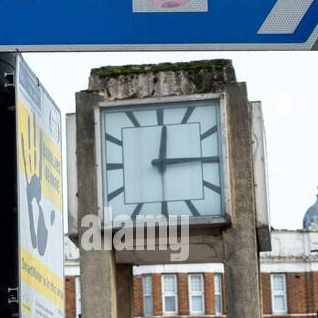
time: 12:14
